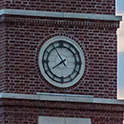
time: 7:54
